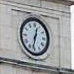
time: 12:32
